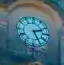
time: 2:25
